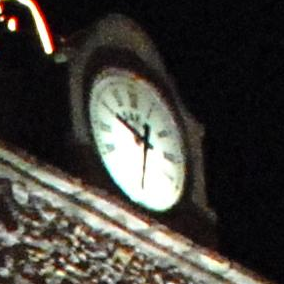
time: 12:49
